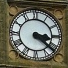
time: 3:21
